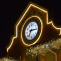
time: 7:15
